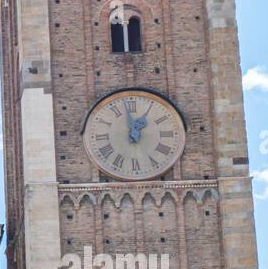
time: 12:58
